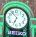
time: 6:53
